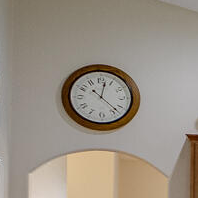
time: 12:22
